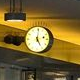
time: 5:01
